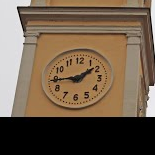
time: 1:44
